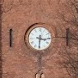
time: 3:30
